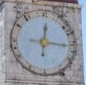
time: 12:16
